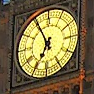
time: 6:55
